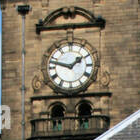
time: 1:47
